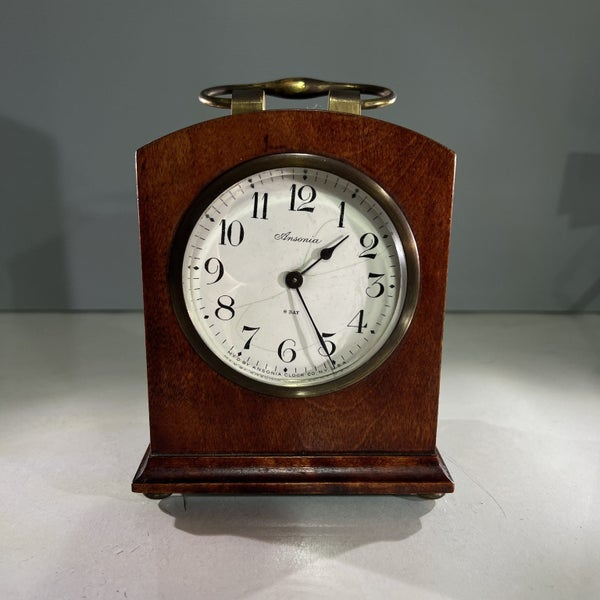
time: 1:25
